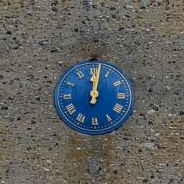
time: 12:01
